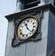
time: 11:22
